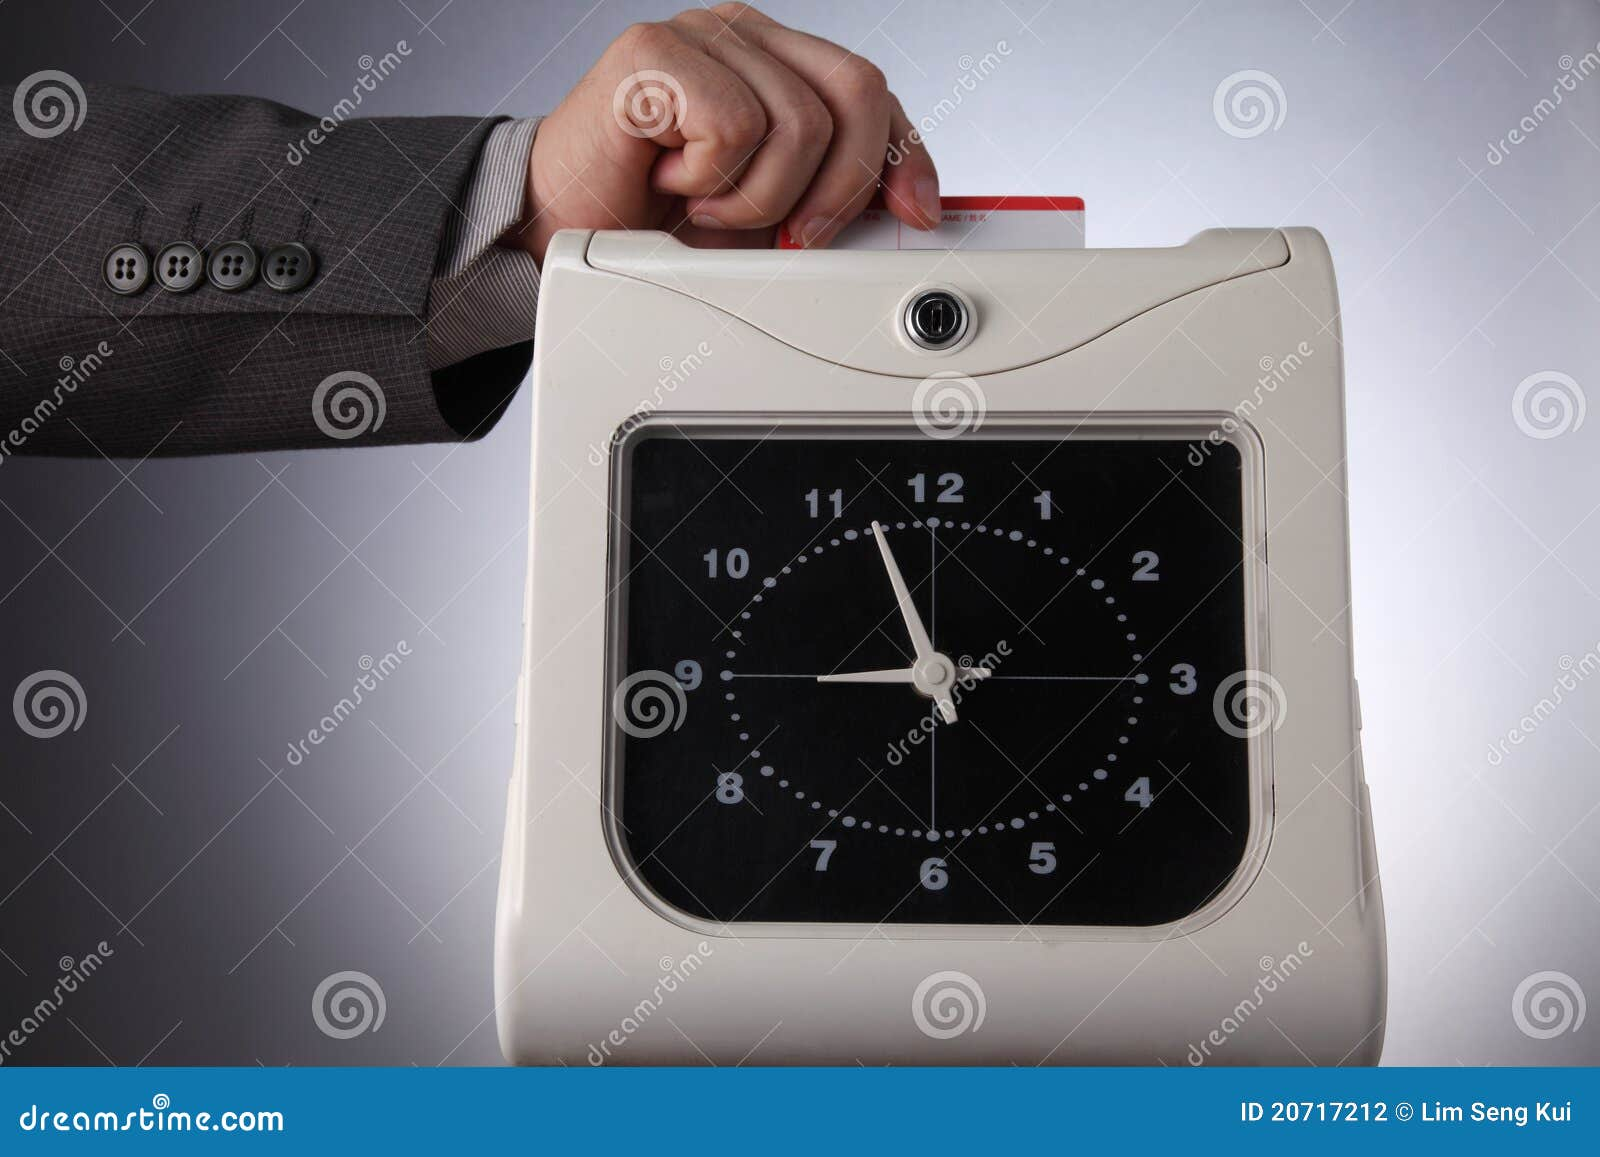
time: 8:57
